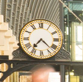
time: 7:22
